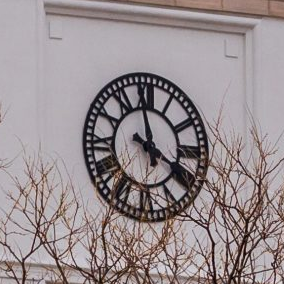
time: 3:58
